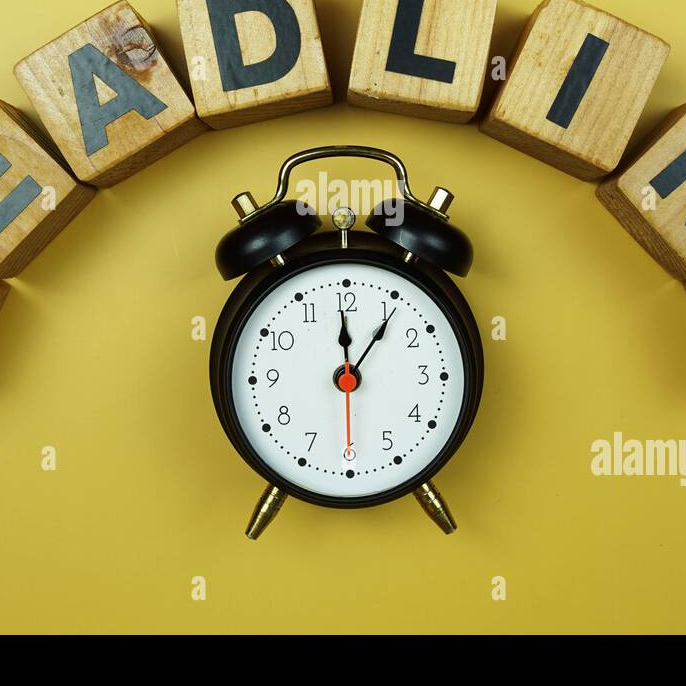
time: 12:05
